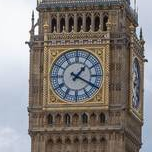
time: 1:19
